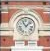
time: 11:07
